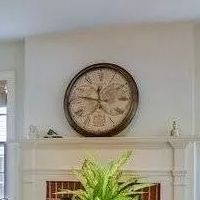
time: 11:47
